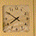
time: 7:50
